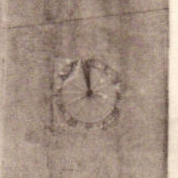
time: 11:57
